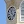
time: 11:22
